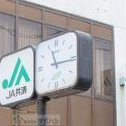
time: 11:15
